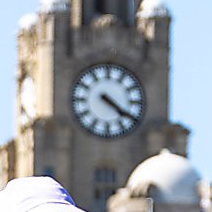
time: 4:20
